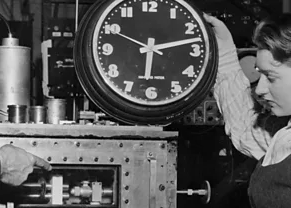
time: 6:12
